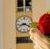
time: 8:18
